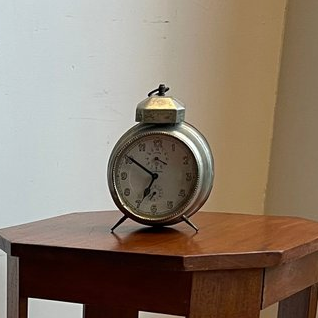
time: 6:50
